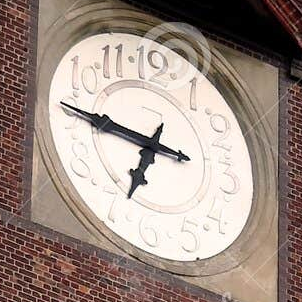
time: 6:46
